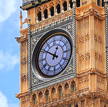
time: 12:50
